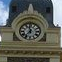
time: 11:36
